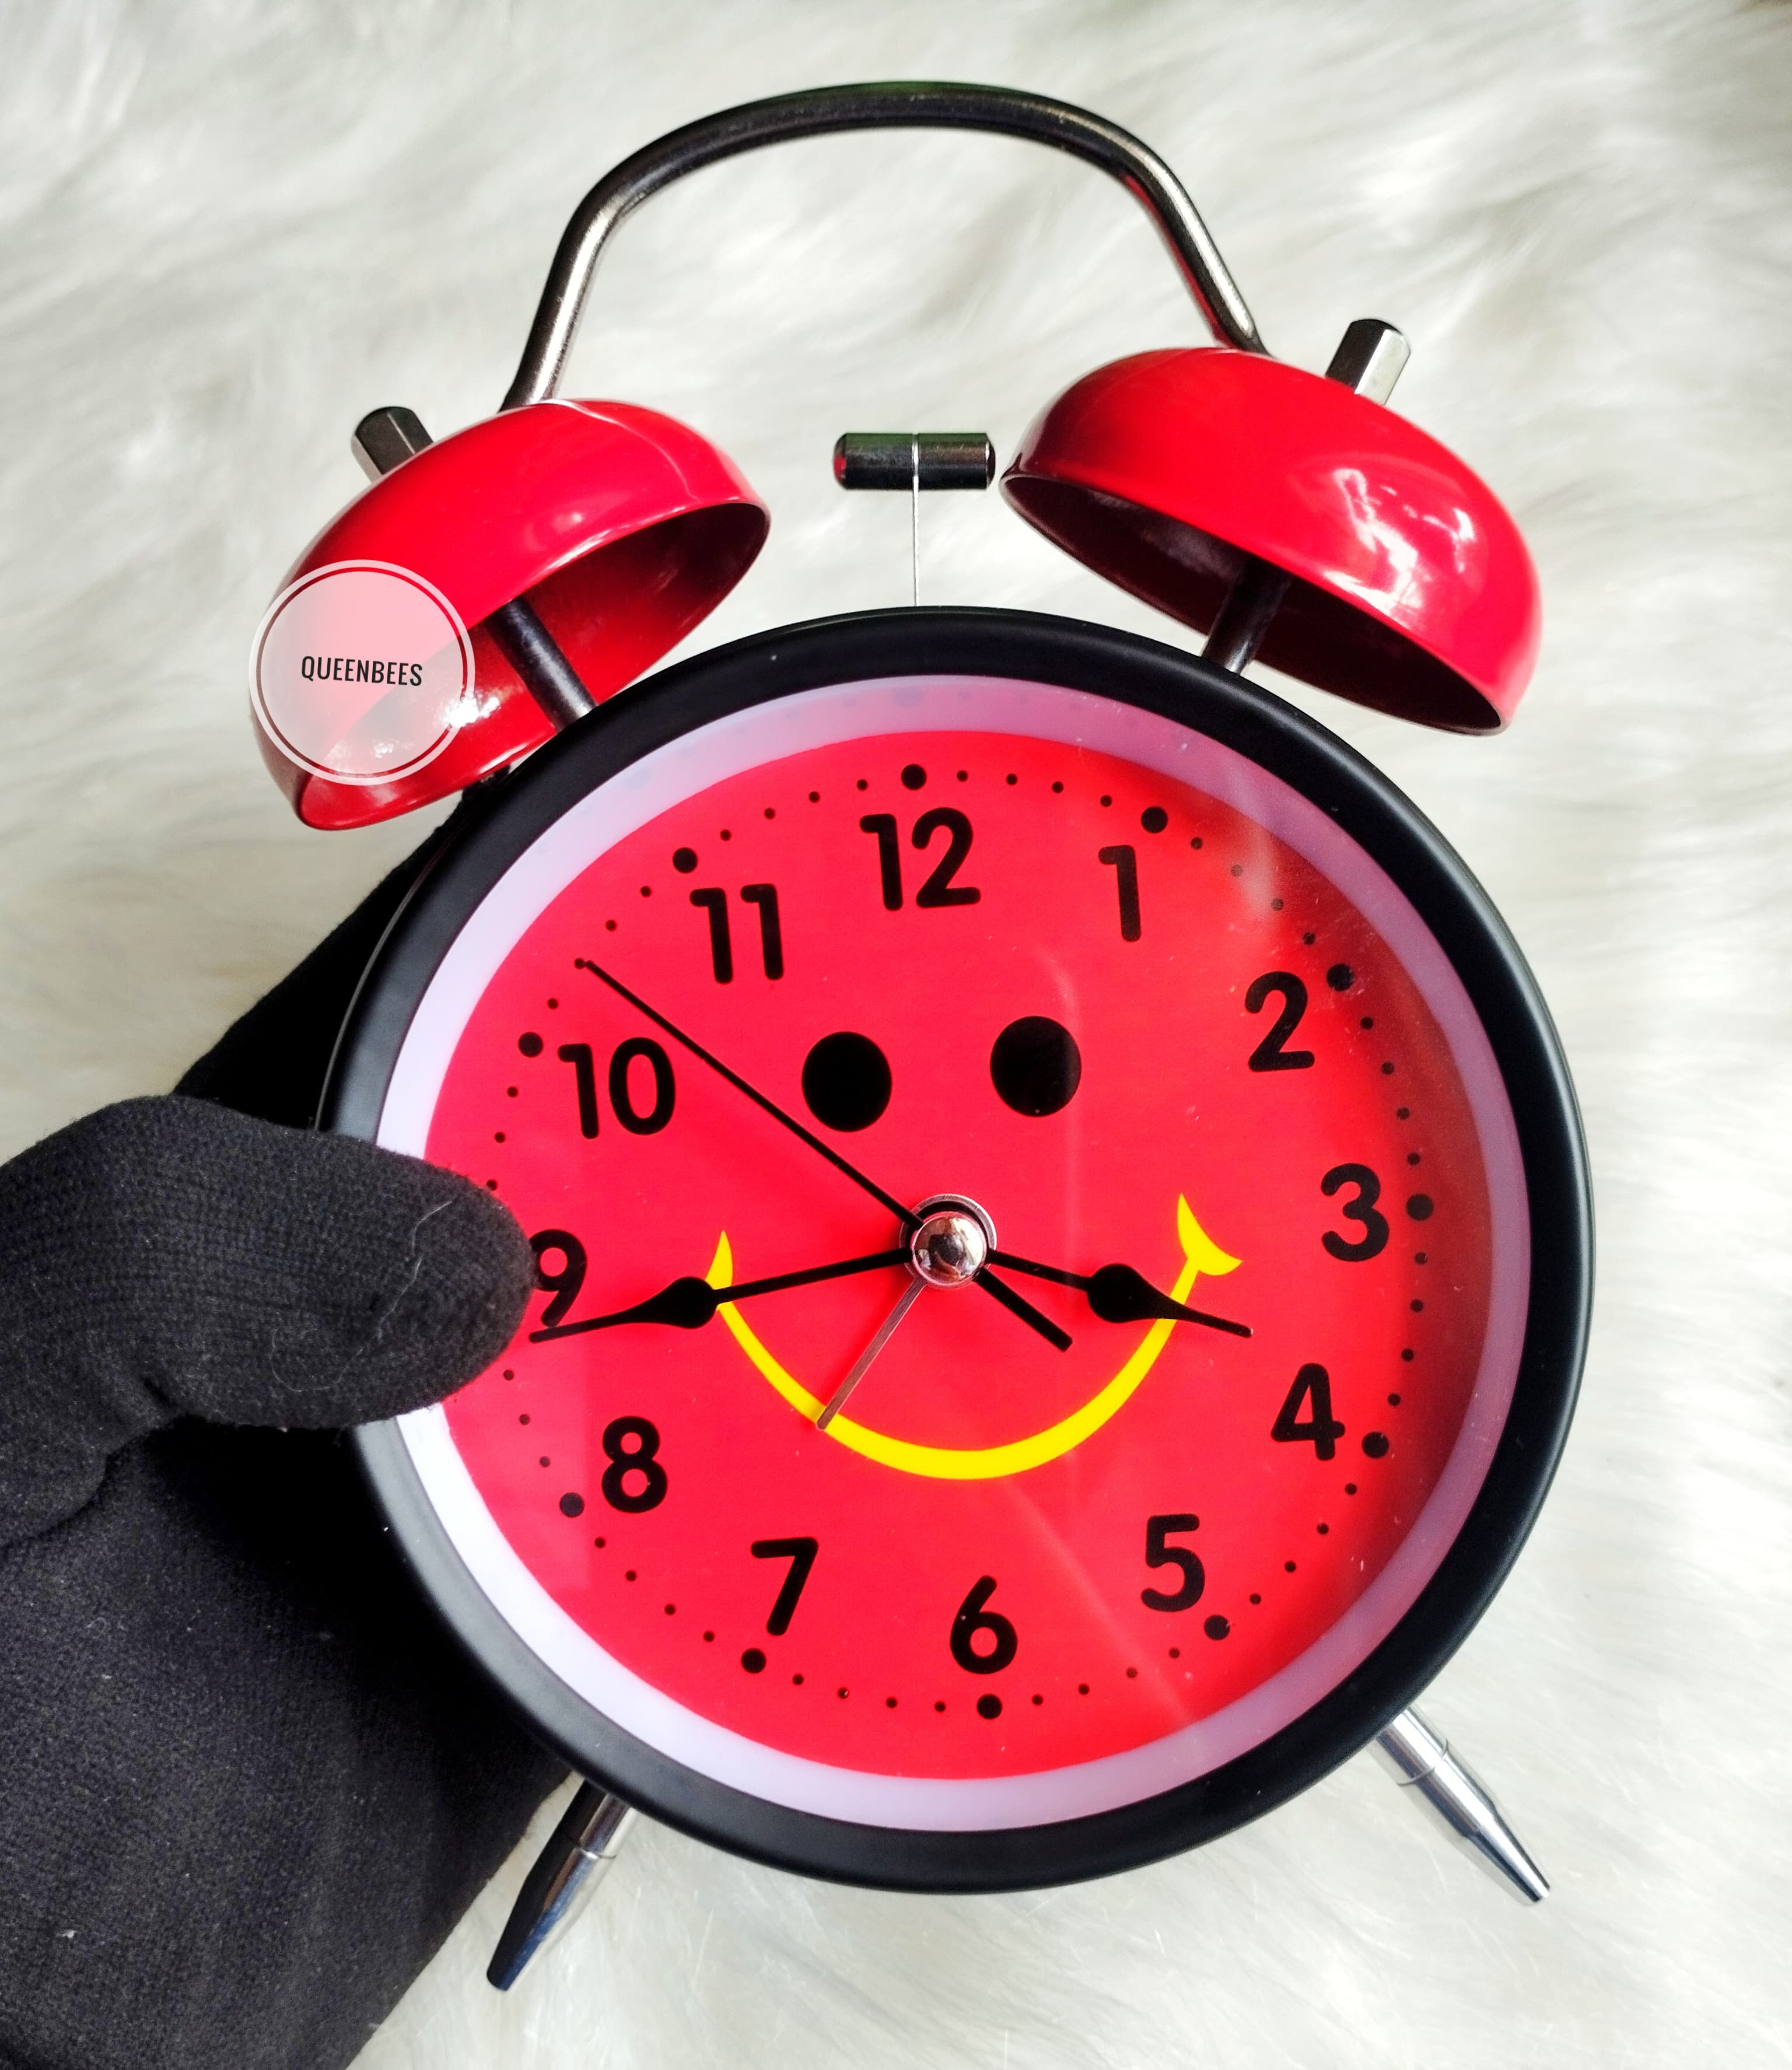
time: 3:43
